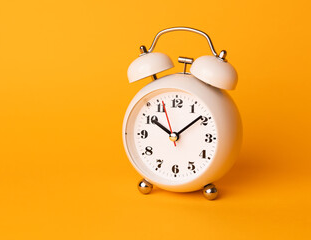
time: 10:08
